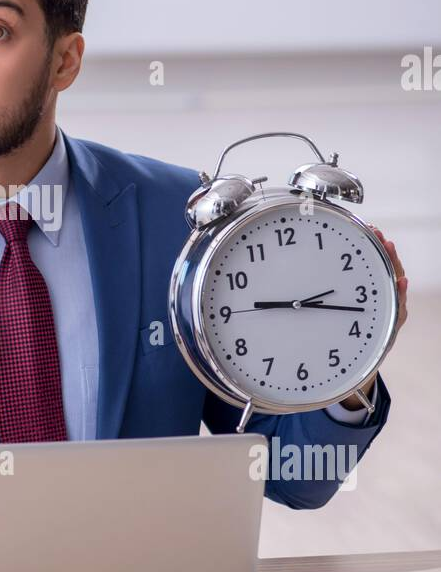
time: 9:17
